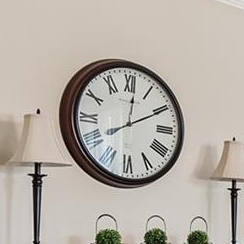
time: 8:01
